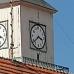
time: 3:38
